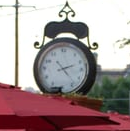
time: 2:23
